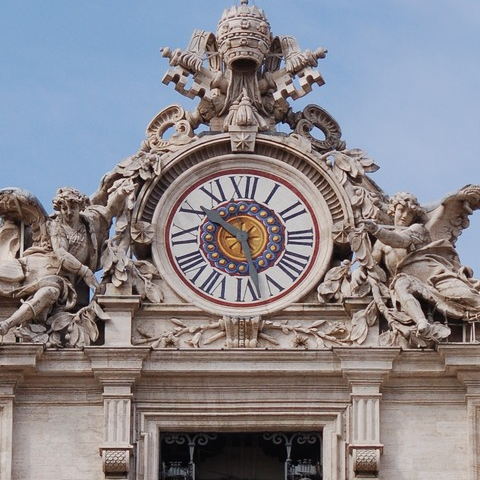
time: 10:27
